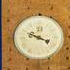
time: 3:48
